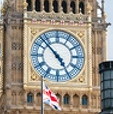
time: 4:52
